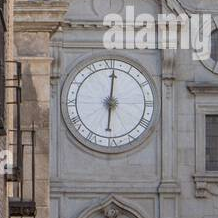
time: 6:00
